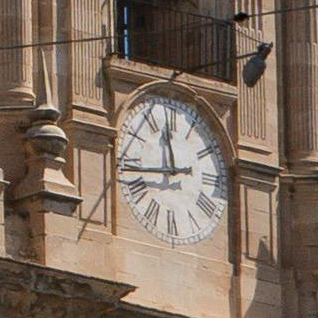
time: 11:43
